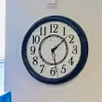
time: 1:28
